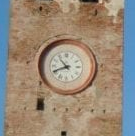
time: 10:41
